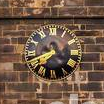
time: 7:41
